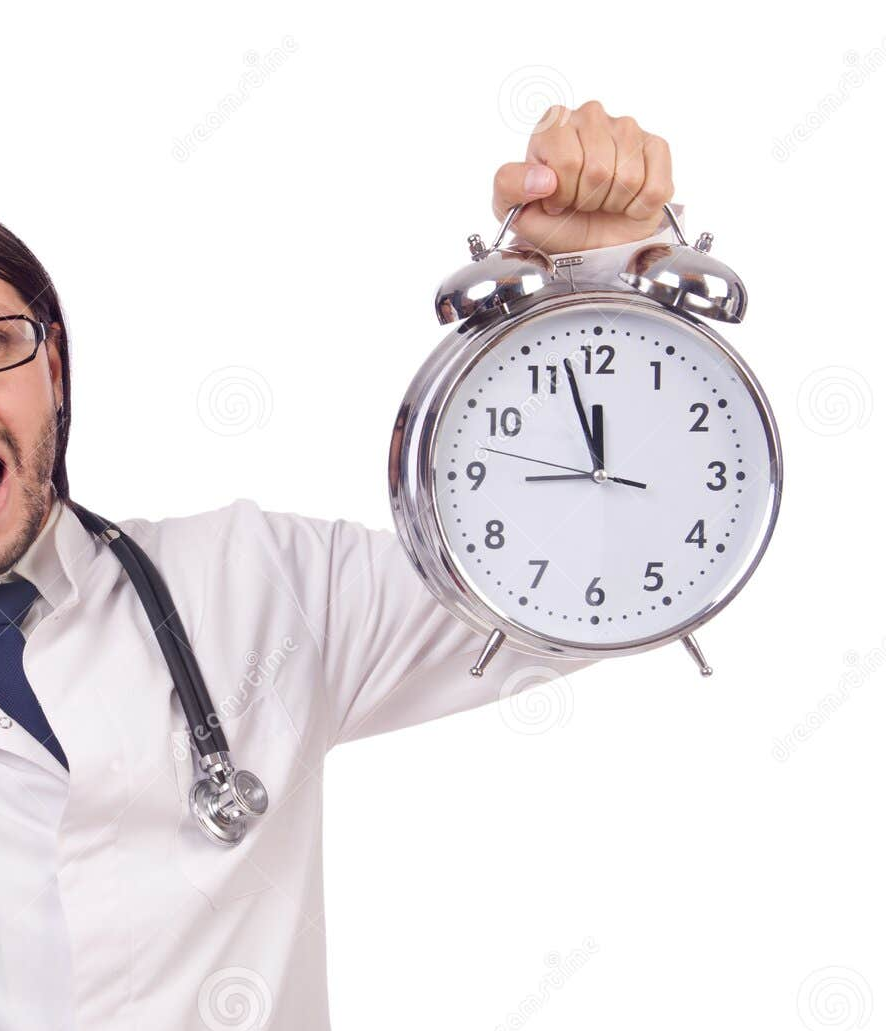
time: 11:57
